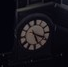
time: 5:18
